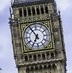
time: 6:54
